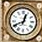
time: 12:40
